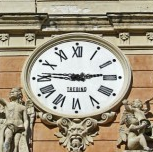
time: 2:46
